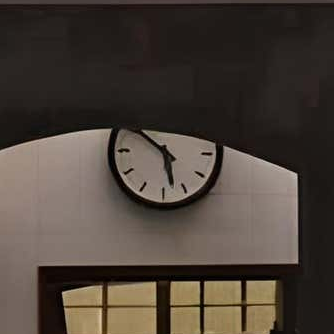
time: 5:51
